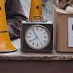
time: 7:54
